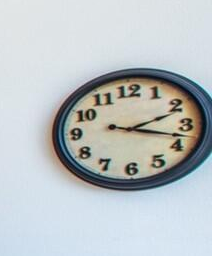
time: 2:17
